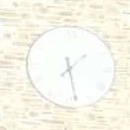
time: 1:28
